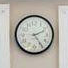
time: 2:24
